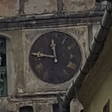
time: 11:46
